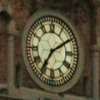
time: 7:09
